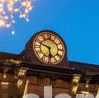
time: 5:48
